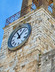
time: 11:07
